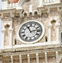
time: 11:13
